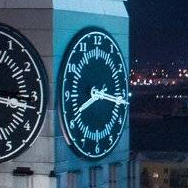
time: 8:16
